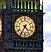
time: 4:35
